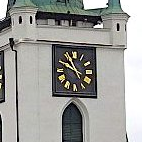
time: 10:48
